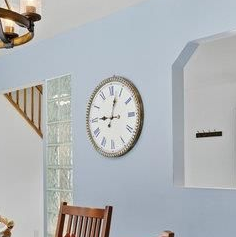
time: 9:02
